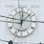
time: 12:07
